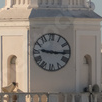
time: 9:15
